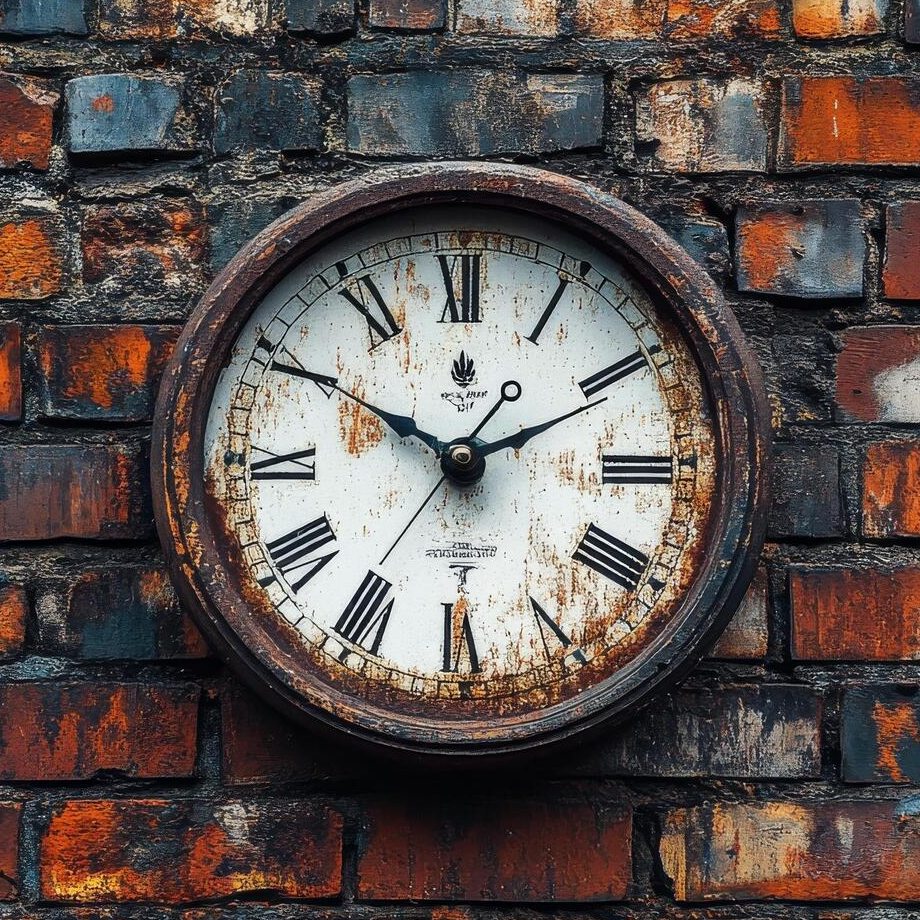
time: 1:50
